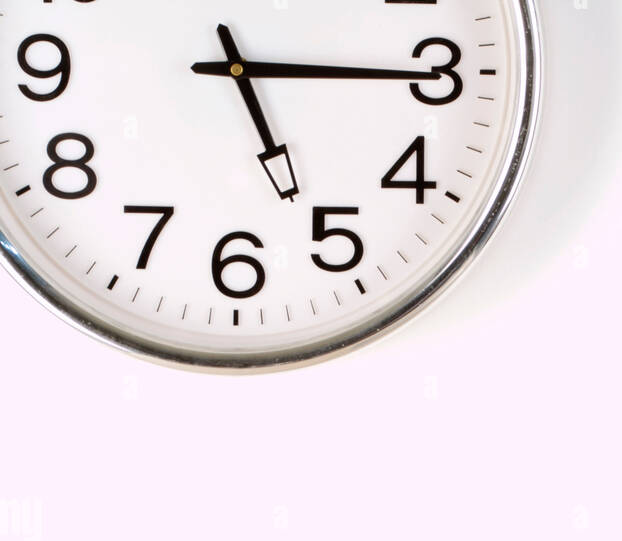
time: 5:15
